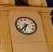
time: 6:38
